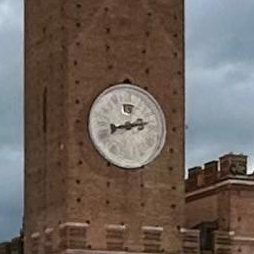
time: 8:12
